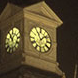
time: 11:08
